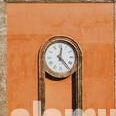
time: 12:23
